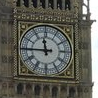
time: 11:45
